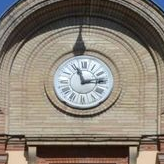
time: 11:13
